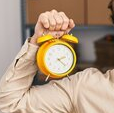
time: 2:21
